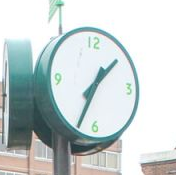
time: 1:33
